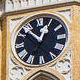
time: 12:53
